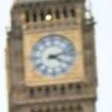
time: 4:12
